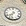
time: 7:32
